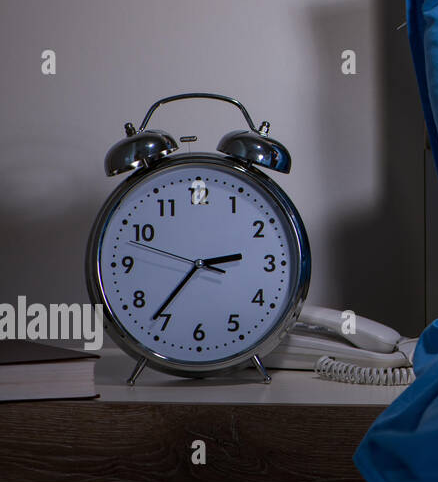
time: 2:36
